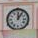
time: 12:05
